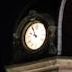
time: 9:55
